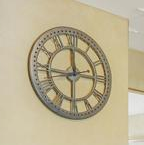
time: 11:44
